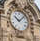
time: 10:07
